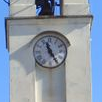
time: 11:25
